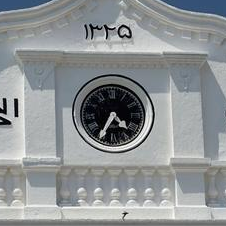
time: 4:35
